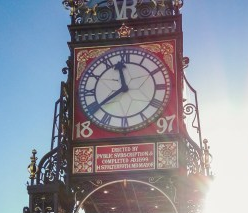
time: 11:39
